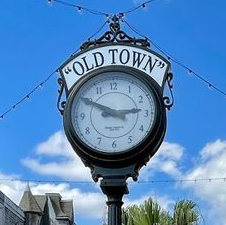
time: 2:49
